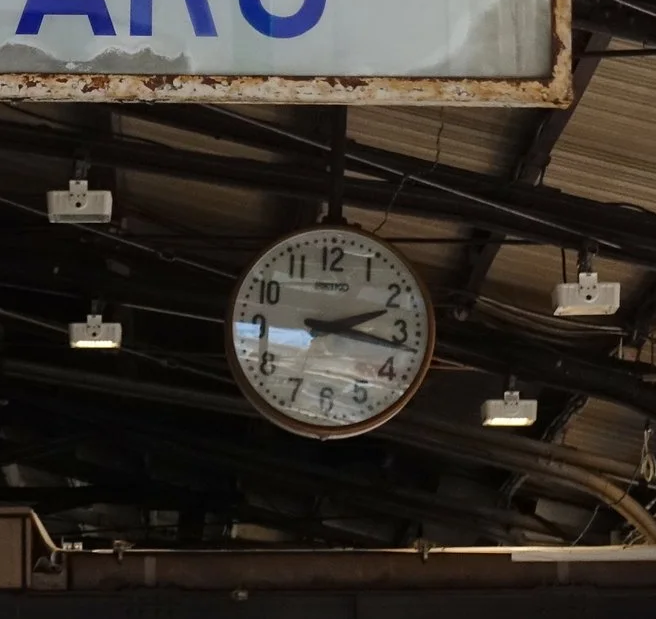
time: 2:16
